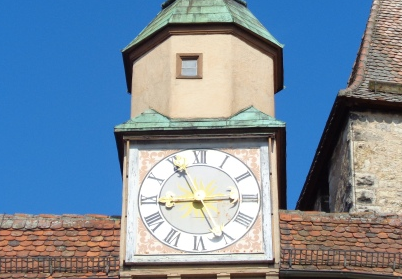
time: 8:55
